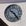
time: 10:24
